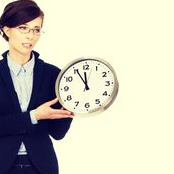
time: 11:55
